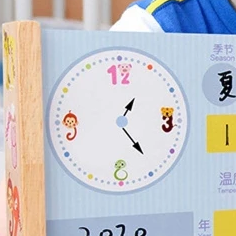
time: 1:23
